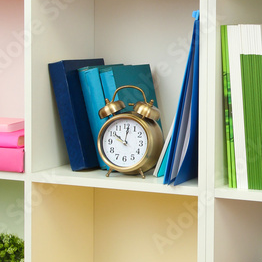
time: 10:01
